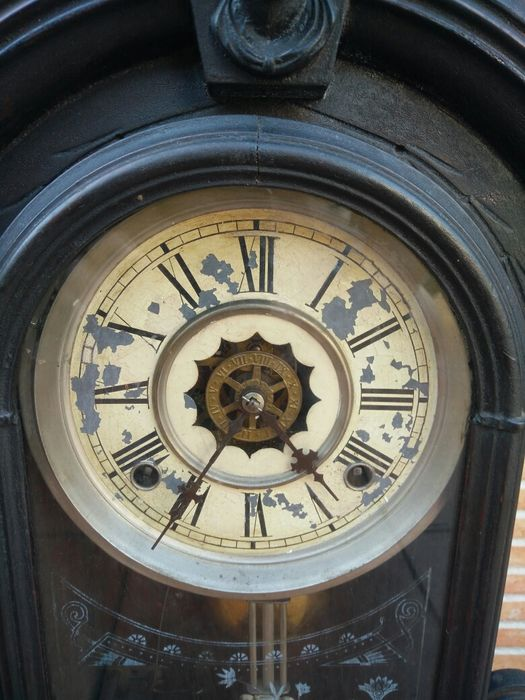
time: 4:35
